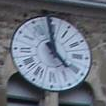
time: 4:59
